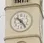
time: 10:24
